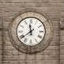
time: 11:38
